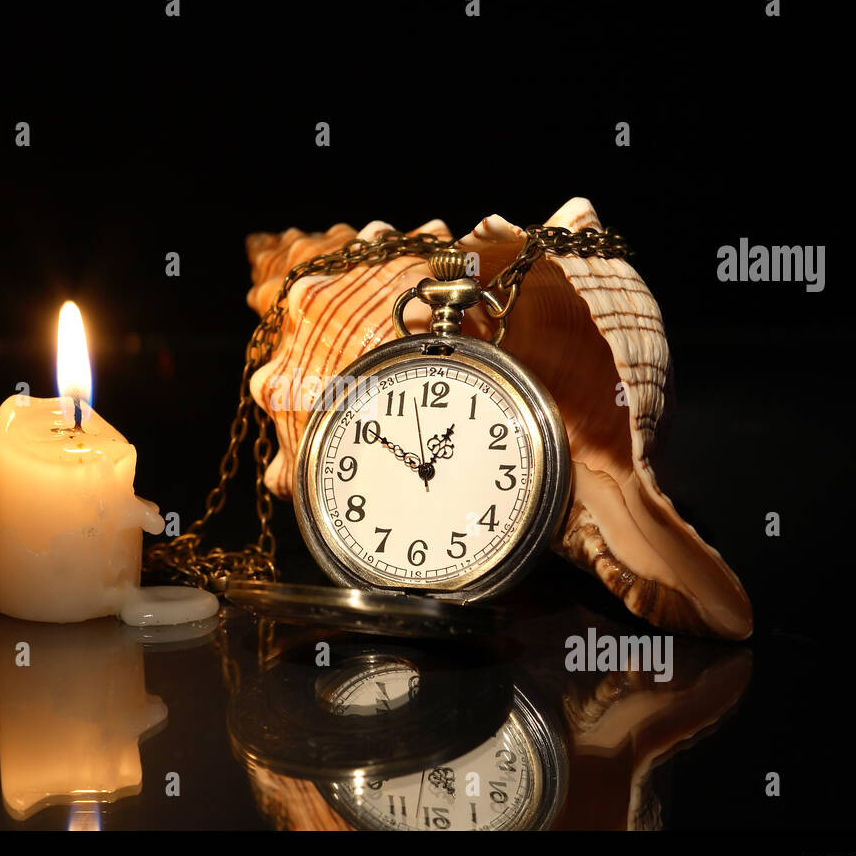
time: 12:50
